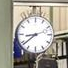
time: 8:38
